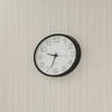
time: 9:33
